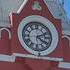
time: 4:10
